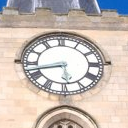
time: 5:42
